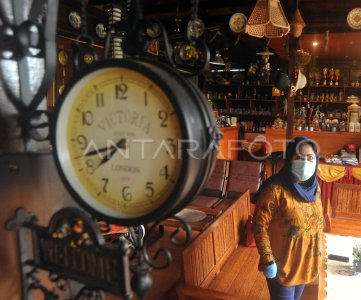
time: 7:42
